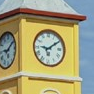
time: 9:09
